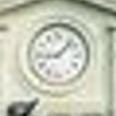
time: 9:07
